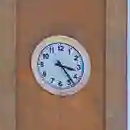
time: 3:23
